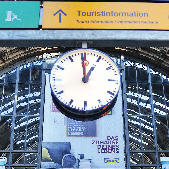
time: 12:59
